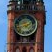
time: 1:41
